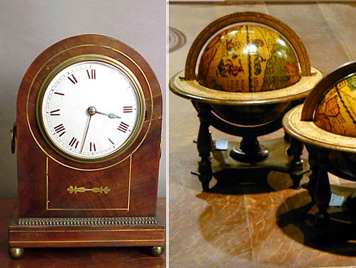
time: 3:32
